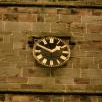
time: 1:49
